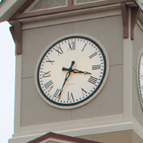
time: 3:34
